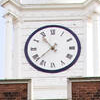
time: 10:37
